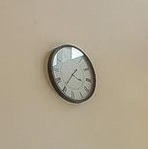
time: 3:35
